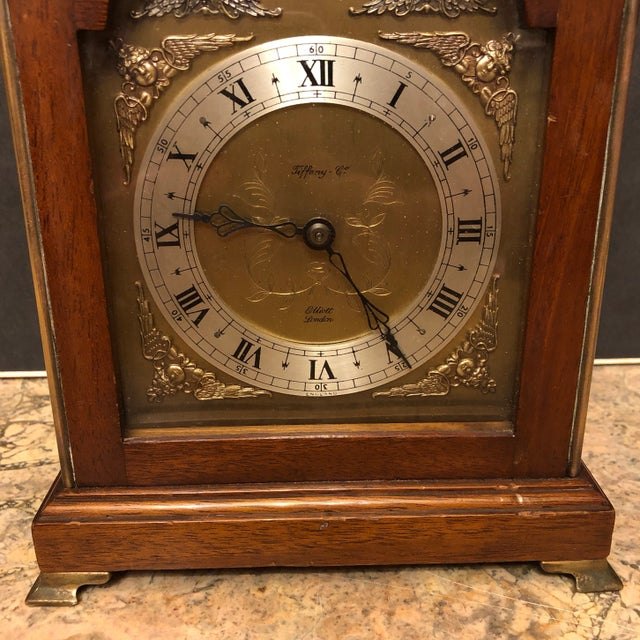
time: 9:24
